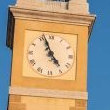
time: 4:56
